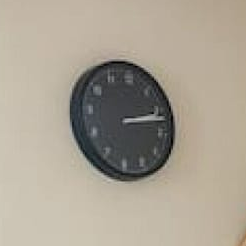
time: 2:12
